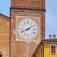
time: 1:41
